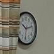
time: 10:12
